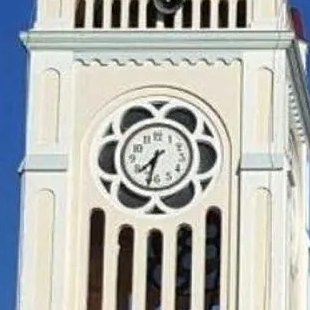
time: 7:32
